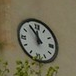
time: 11:54
